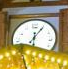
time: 12:05
